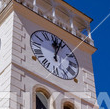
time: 12:03
